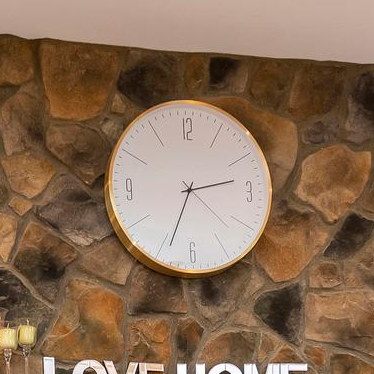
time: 2:33
